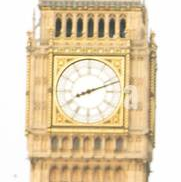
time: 8:11
